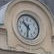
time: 10:32
